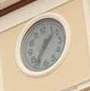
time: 1:36
